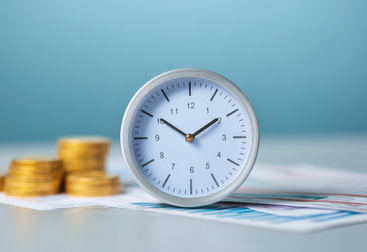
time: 1:50
